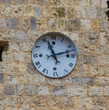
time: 11:12
